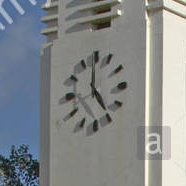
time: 4:59
